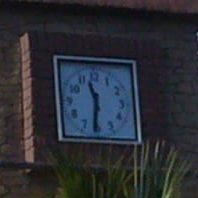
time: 11:31
